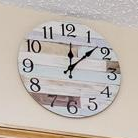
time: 12:08
